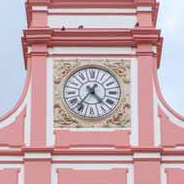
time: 4:36
